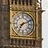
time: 7:10
